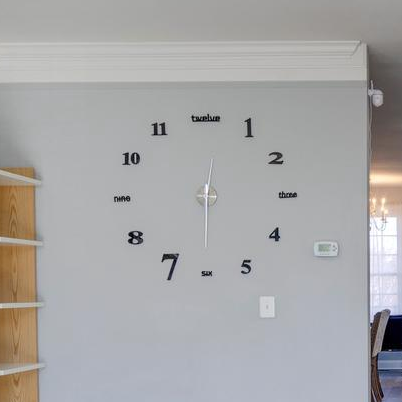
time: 12:30
